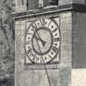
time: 9:53
